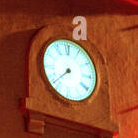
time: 7:37
